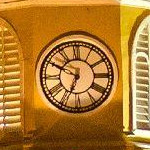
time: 6:49
